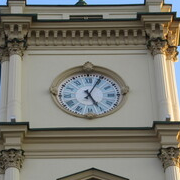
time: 5:04
